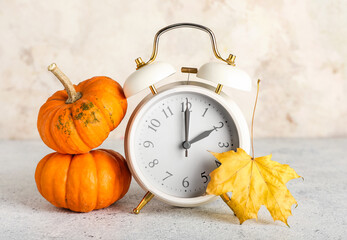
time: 2:00
